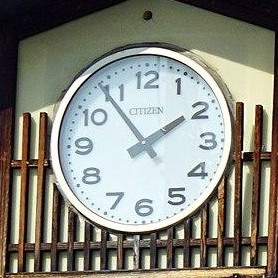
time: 1:53
